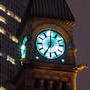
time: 7:00
